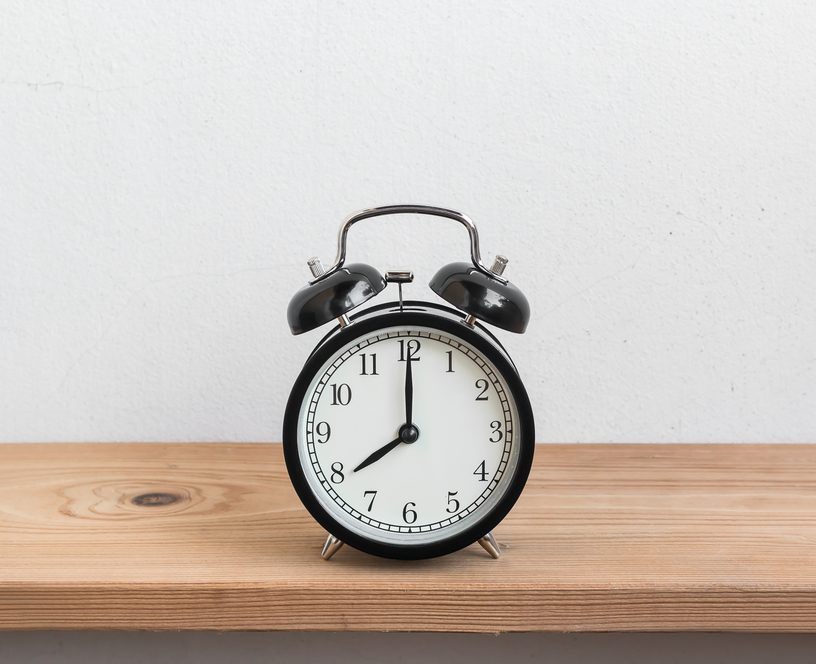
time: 8:00
